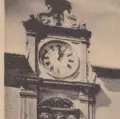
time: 12:05
